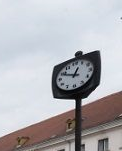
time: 12:49
